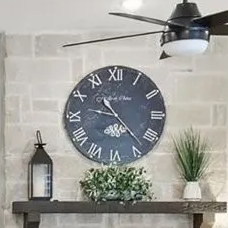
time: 9:23
